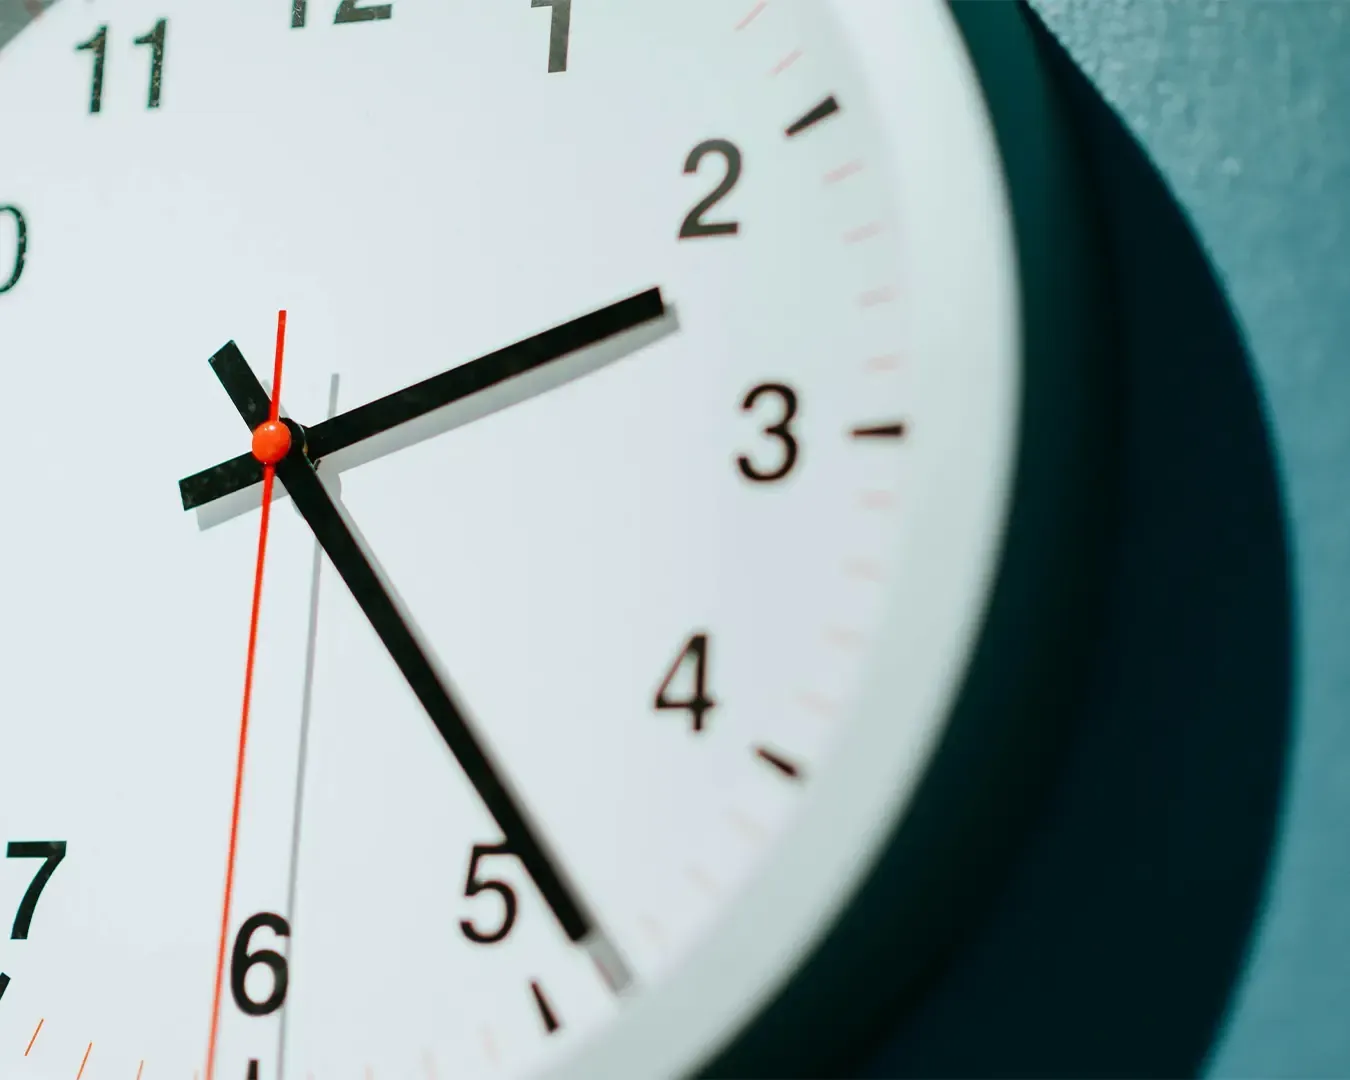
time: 2:23
